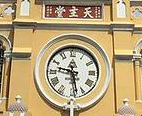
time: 9:28
